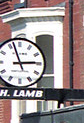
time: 2:56
